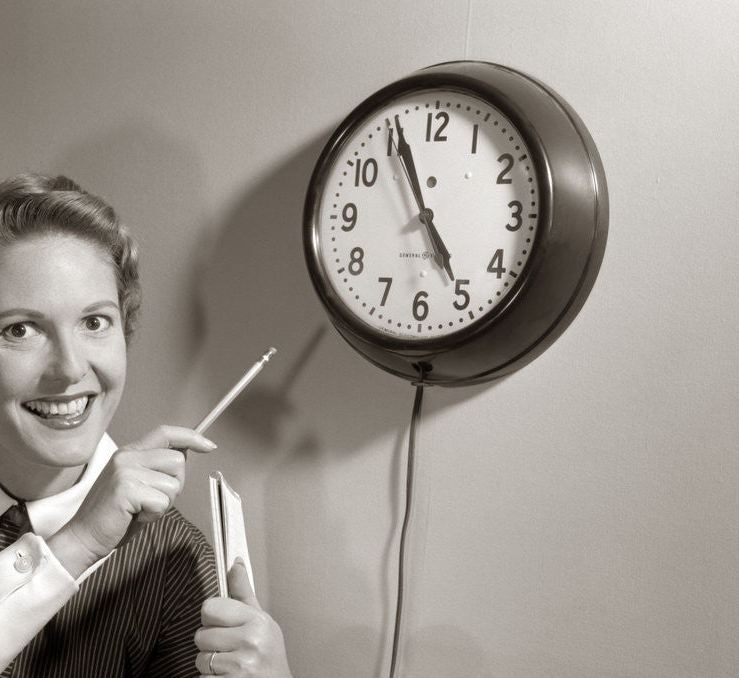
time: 4:55
